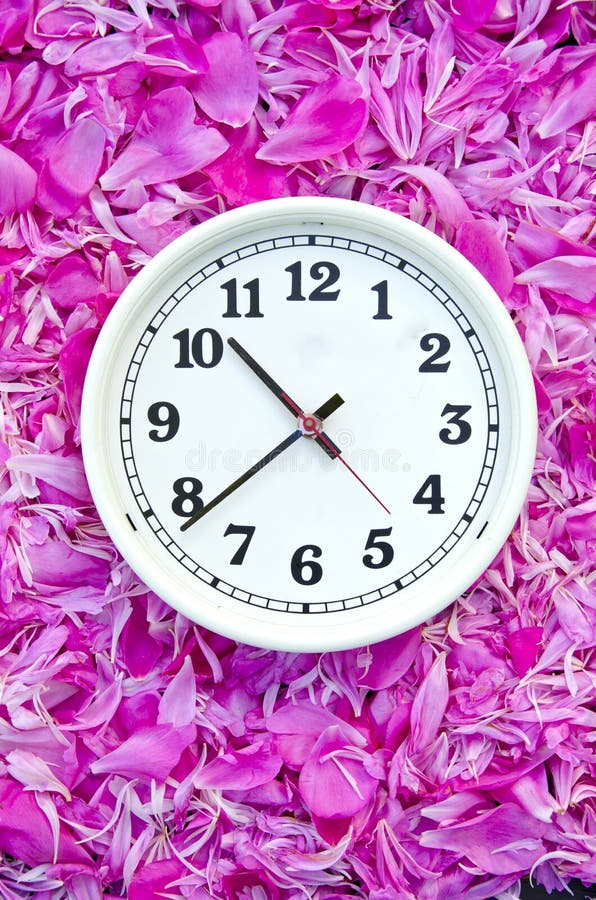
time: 10:38
